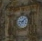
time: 9:07
